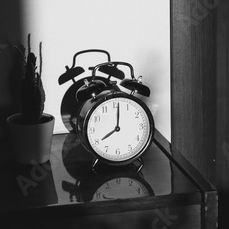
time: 8:01
